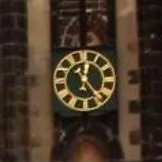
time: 12:23
